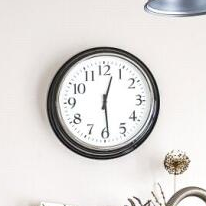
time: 12:29
